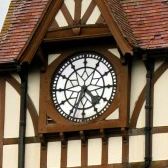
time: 4:34
